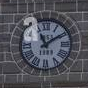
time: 11:09
